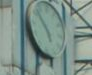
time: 4:52
